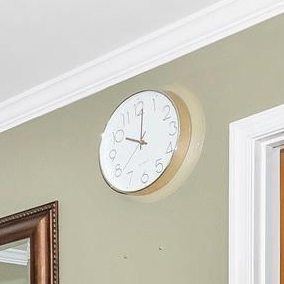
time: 10:01
